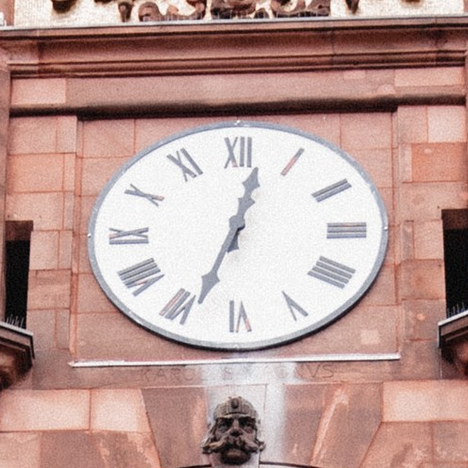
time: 12:33
